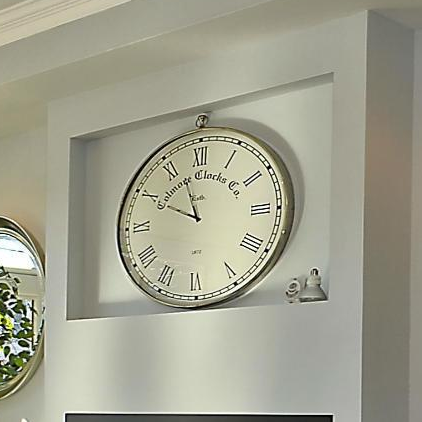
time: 9:56
